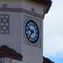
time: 9:36
